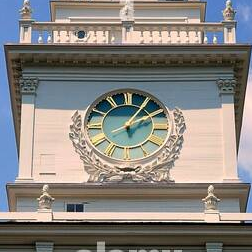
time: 2:05
